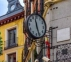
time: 11:26
